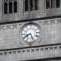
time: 8:26
